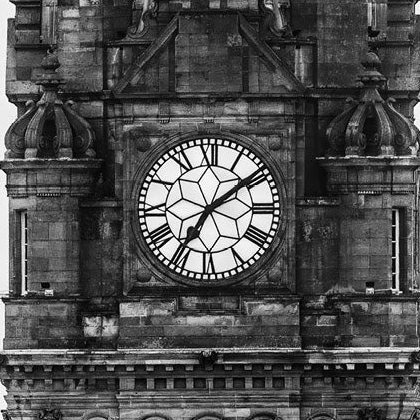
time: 7:08
